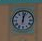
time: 12:02
